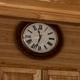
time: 11:32
